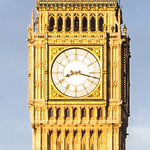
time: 8:17
